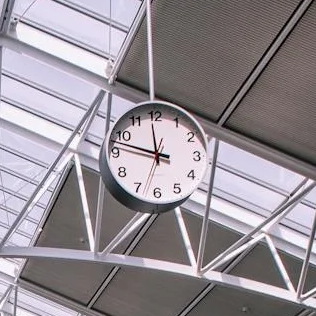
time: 11:47
